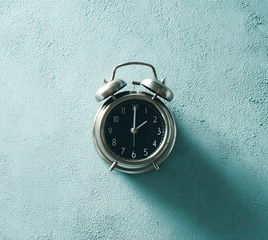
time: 2:00
